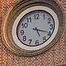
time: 5:19
